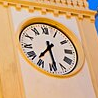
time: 7:28
